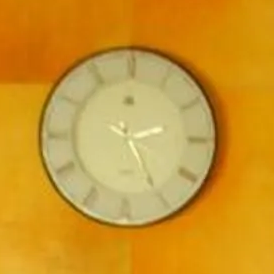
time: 2:25
